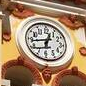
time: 12:43
